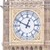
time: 12:49
